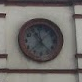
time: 11:37
